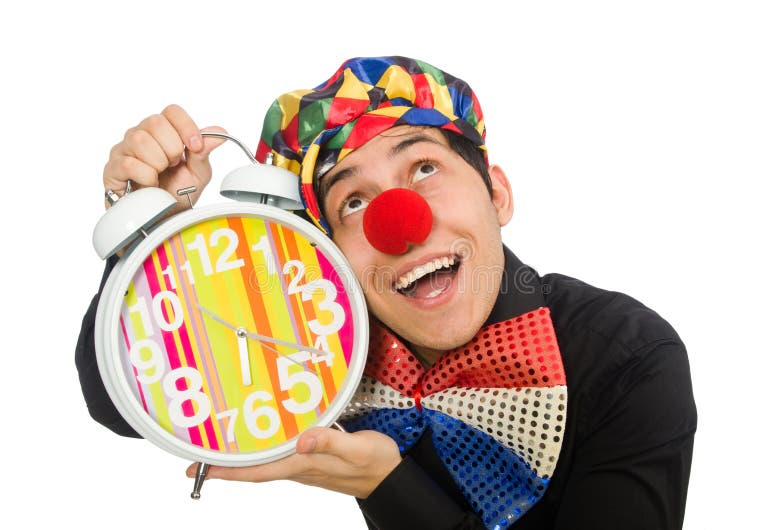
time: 6:21
